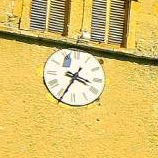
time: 3:34
